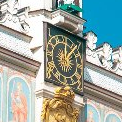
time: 12:07
